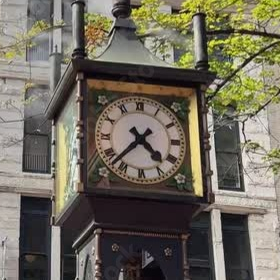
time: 4:37
